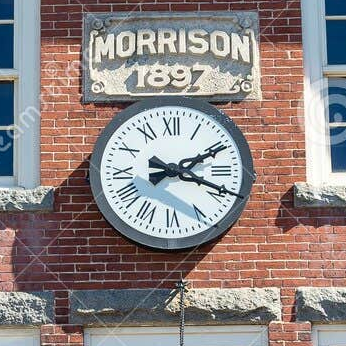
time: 2:18
